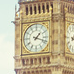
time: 1:18
